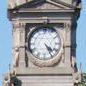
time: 4:24
